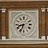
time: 8:33
